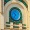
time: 10:36
